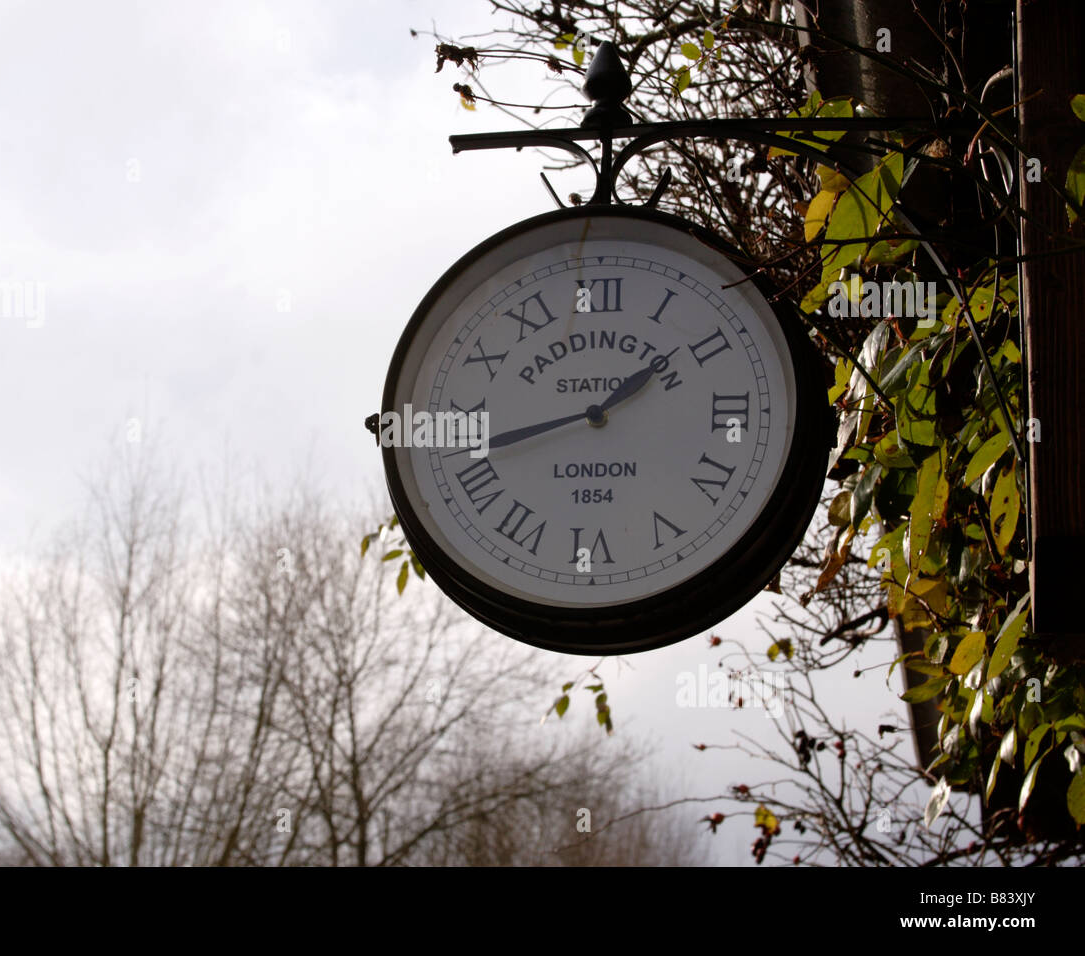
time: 1:42
